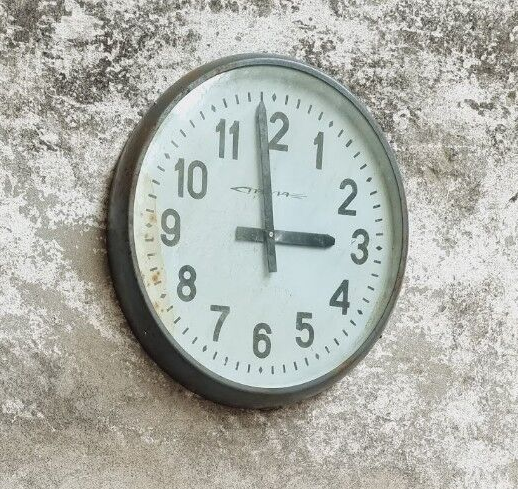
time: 2:58
